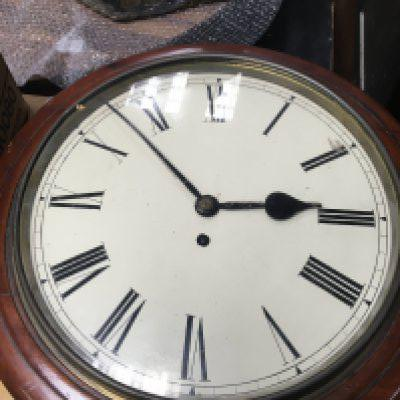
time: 2:52
